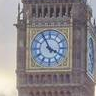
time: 3:55
